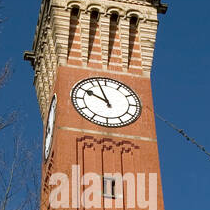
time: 9:56
